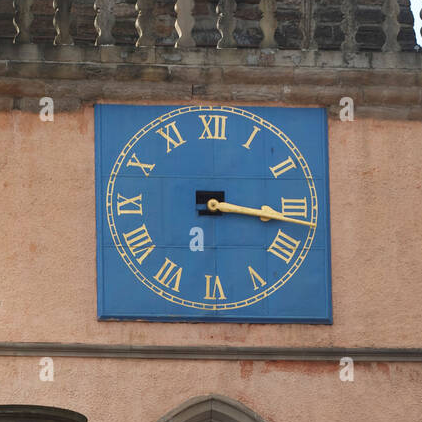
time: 3:16
